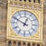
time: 12:49
